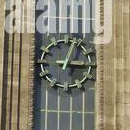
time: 3:02
